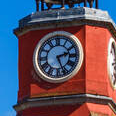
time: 2:26
